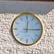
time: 12:14
